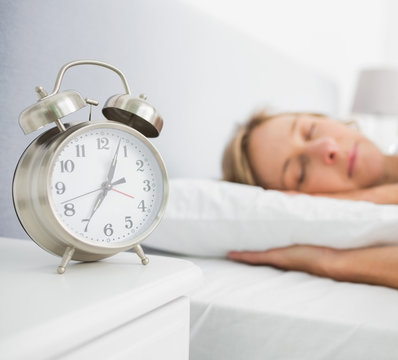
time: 7:03
